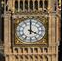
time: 4:00
